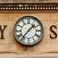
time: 1:36
